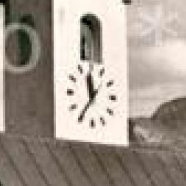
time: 11:35
